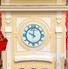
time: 10:00
